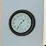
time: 1:36
